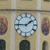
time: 1:45
